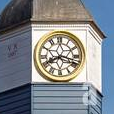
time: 8:17
